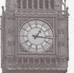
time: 1:16
